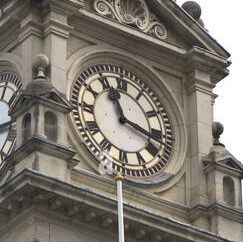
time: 11:17
